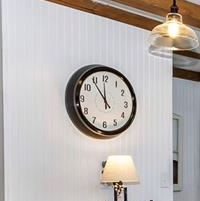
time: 11:53
